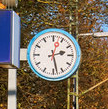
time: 2:28
